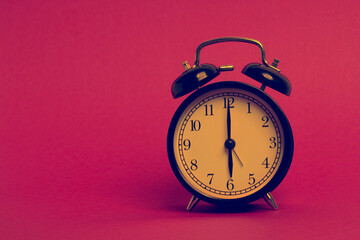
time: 6:00
